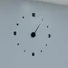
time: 1:05
